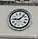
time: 9:07
